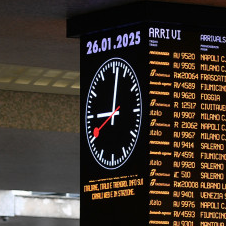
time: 9:01
